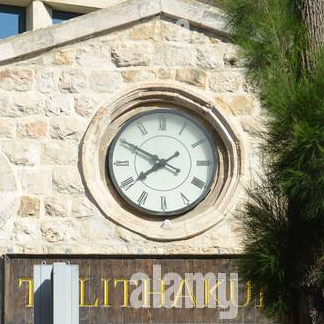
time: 7:49
